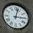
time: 3:02
